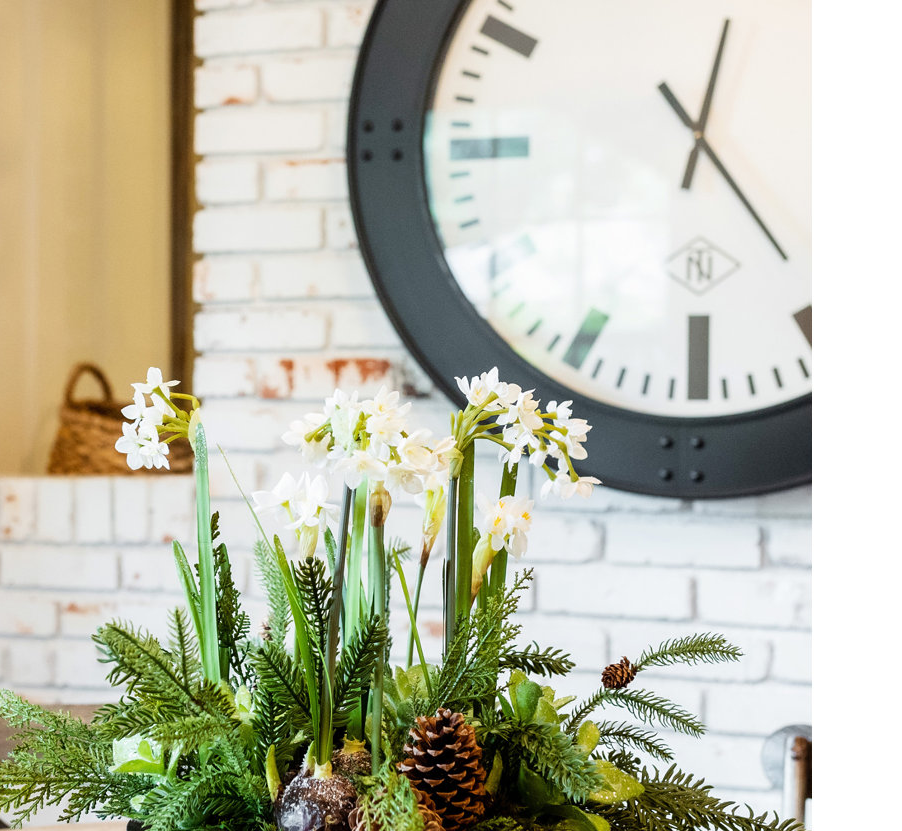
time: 12:24
